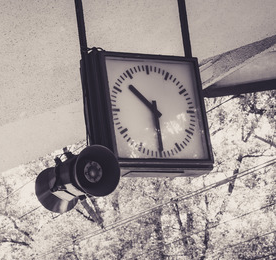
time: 10:29
